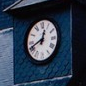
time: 12:41
